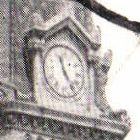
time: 11:25
